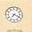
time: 7:18
